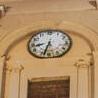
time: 8:33
